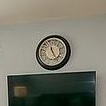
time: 11:24
